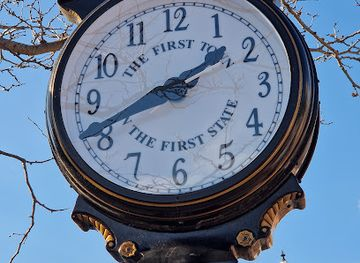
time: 1:40
